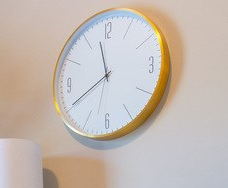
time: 11:40
